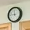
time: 11:45
